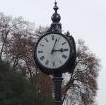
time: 3:03
